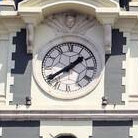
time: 1:39
